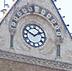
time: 1:49
